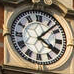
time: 4:07
